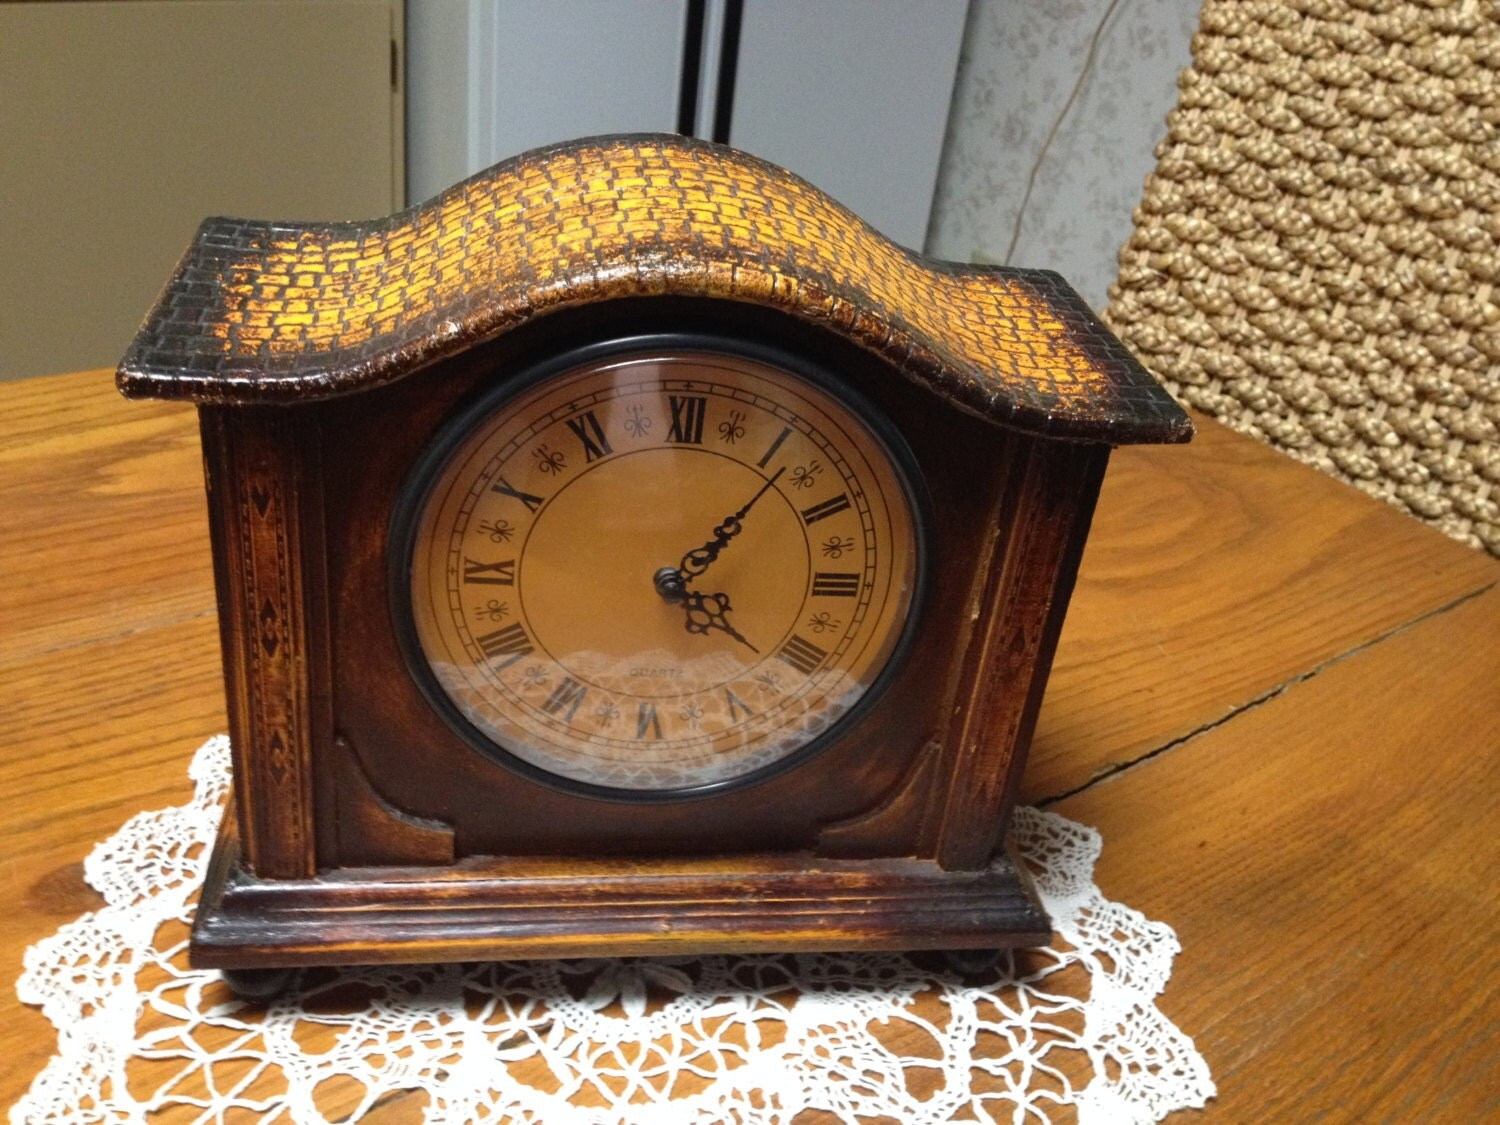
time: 4:06
